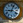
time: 9:03
